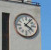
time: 4:07
